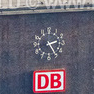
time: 2:25
